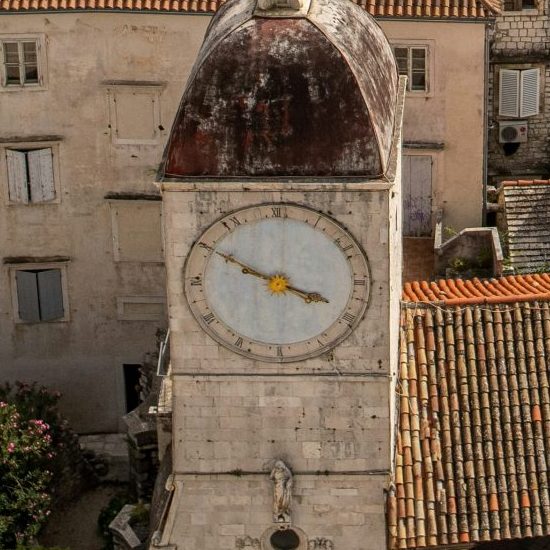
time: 3:50
